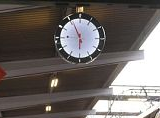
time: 5:55
